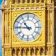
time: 10:45
